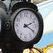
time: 2:19
